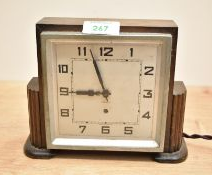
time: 8:56
